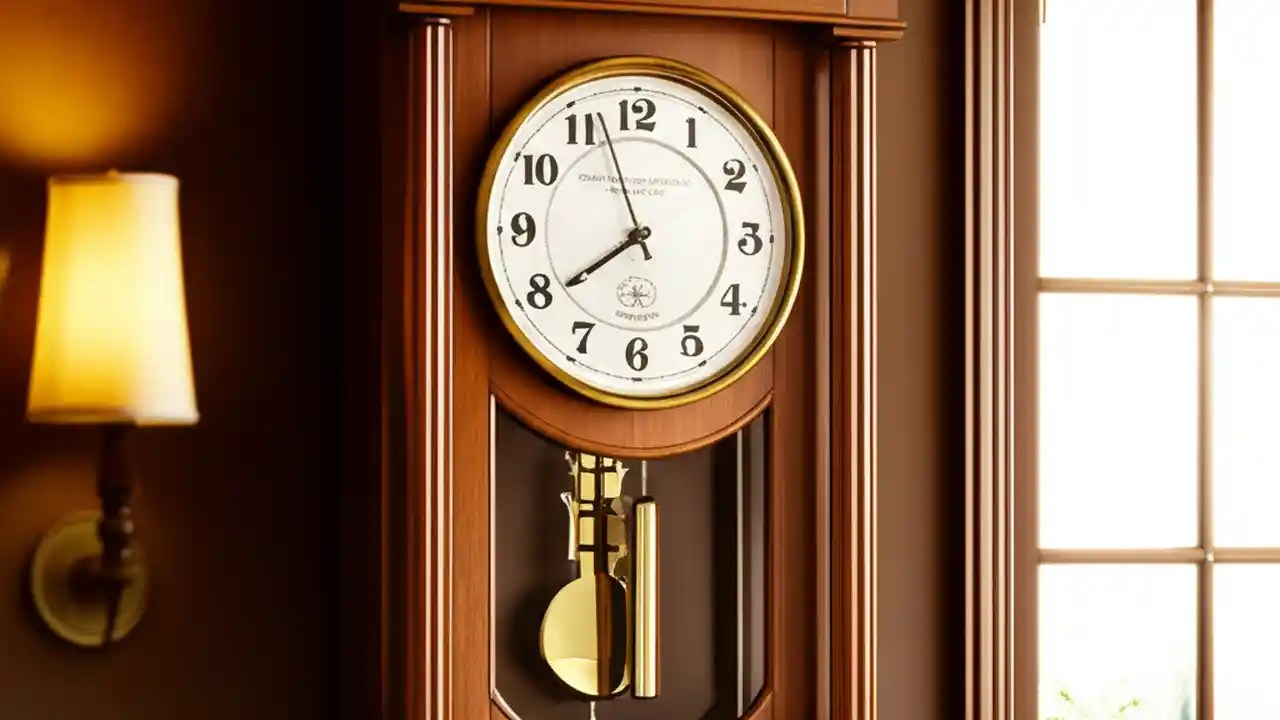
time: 7:57
